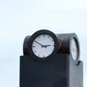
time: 2:50
